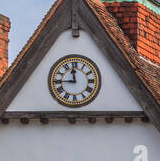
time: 11:44
